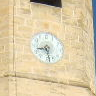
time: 8:28
